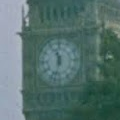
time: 11:32
